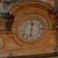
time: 12:32
